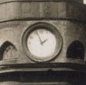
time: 1:56
